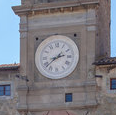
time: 2:38
